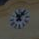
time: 11:07
